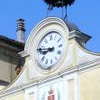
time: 8:47
